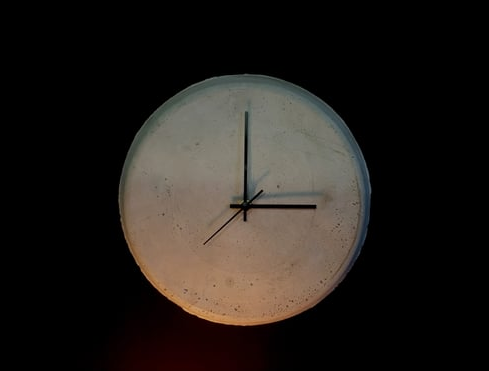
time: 2:59
